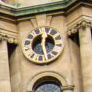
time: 12:27
